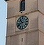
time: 10:41
